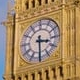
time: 3:29
